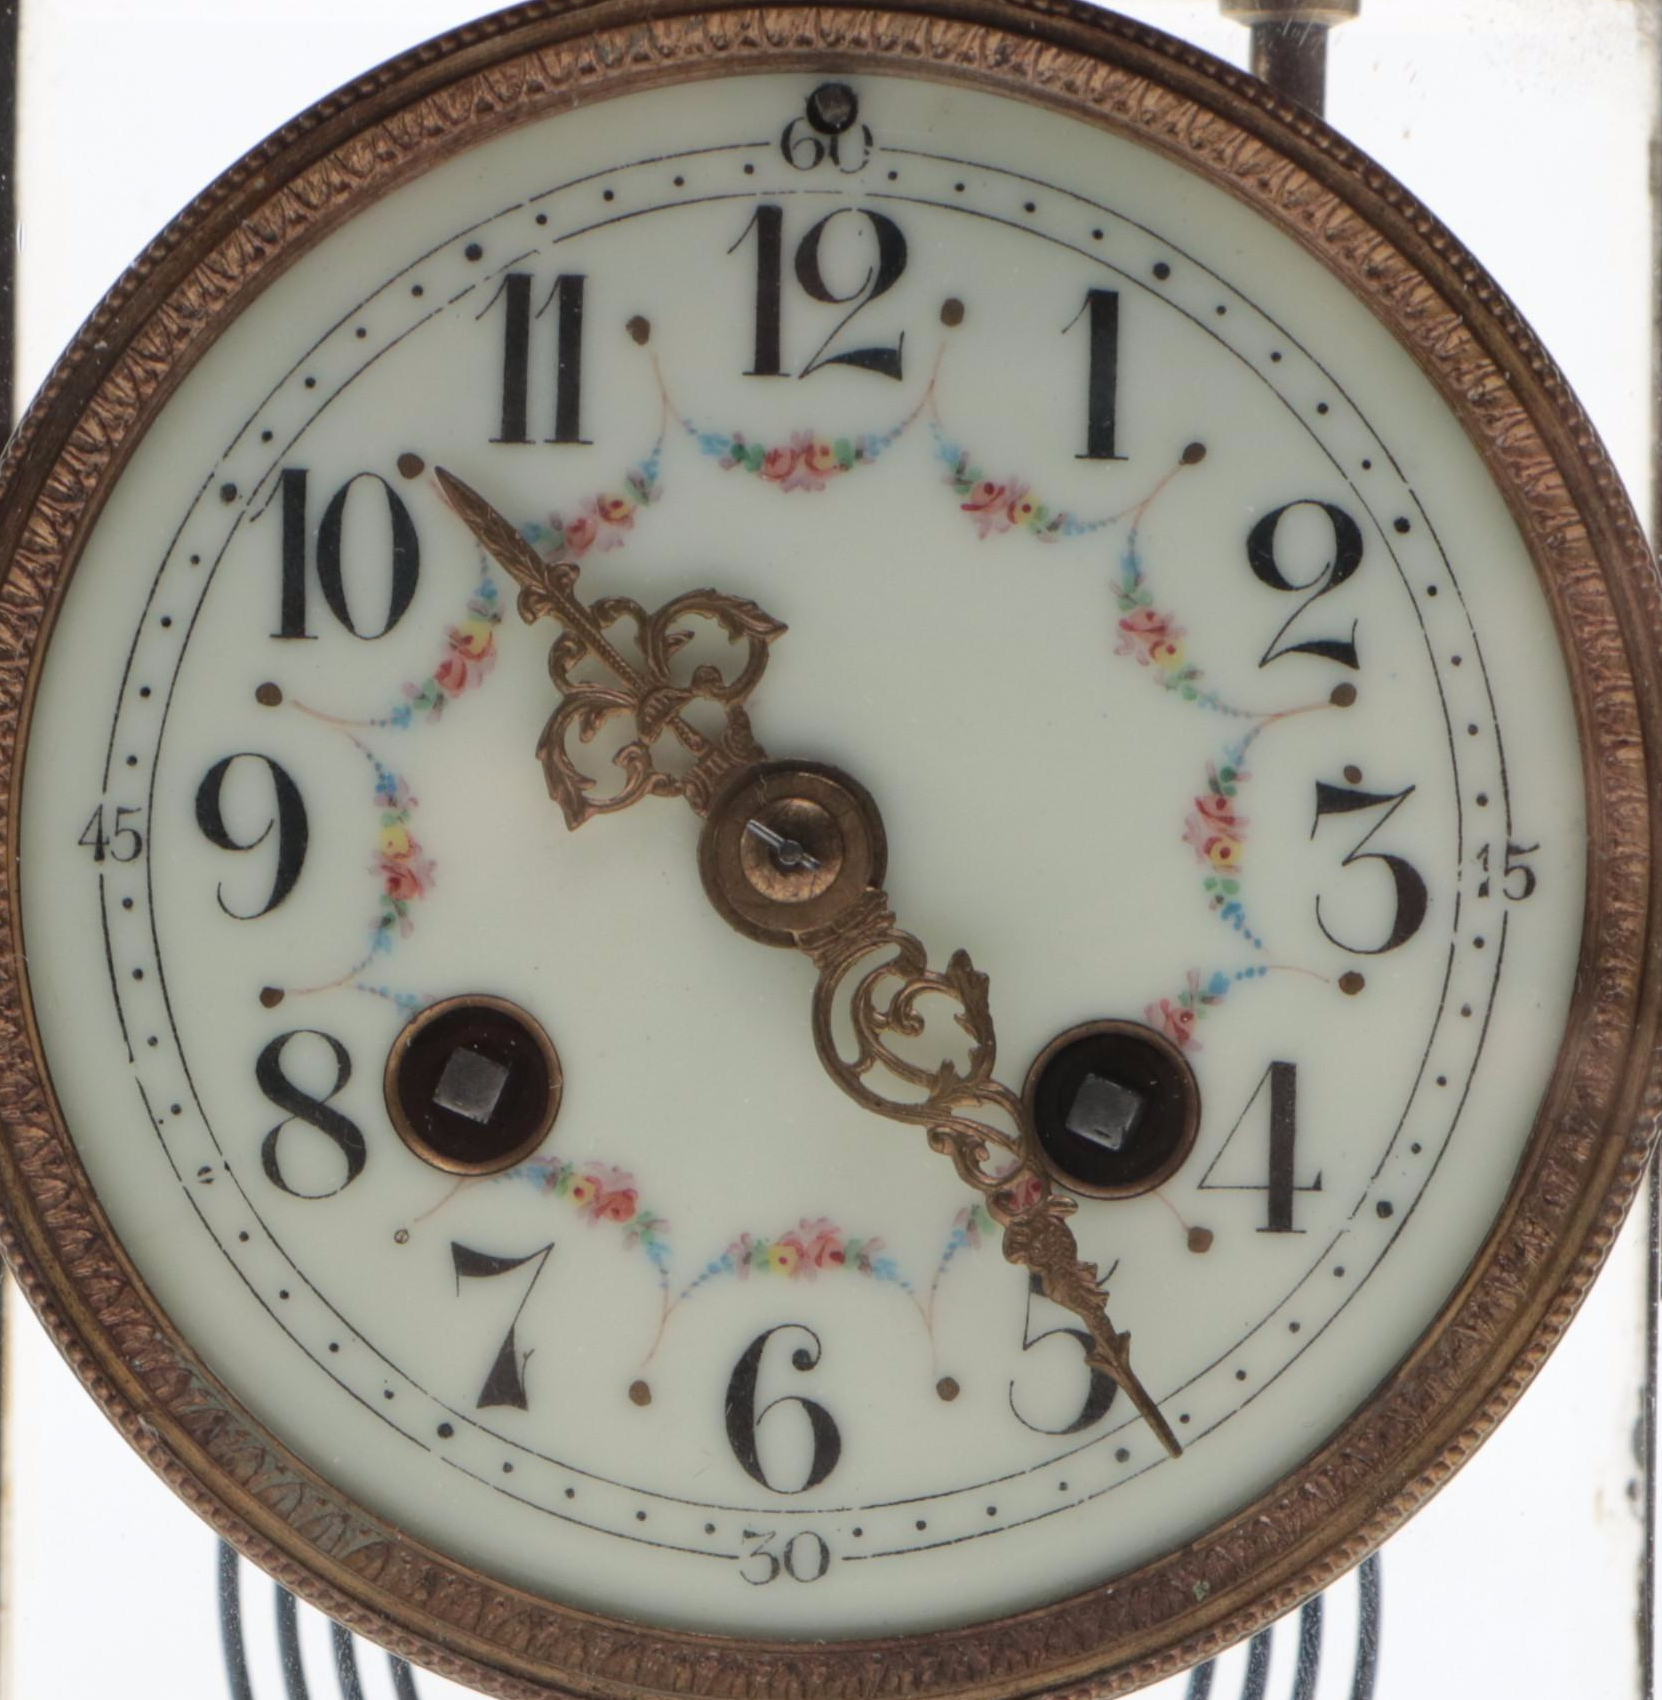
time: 4:52
